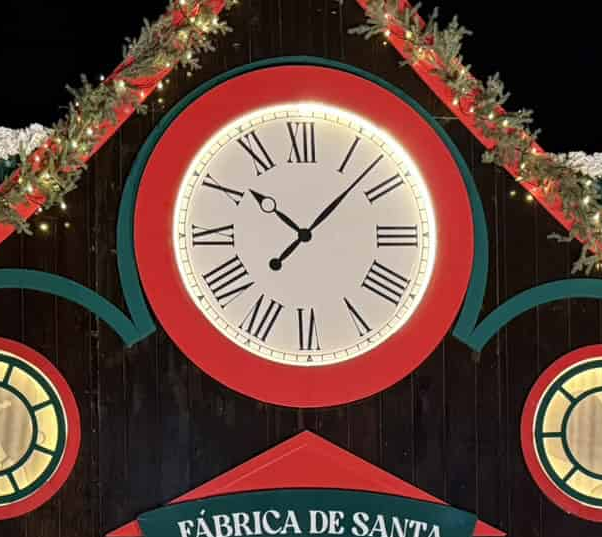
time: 10:07
